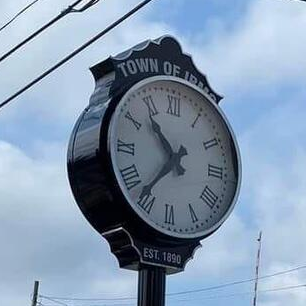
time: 10:36
